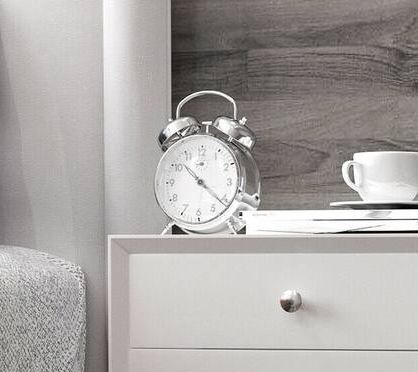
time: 10:22
